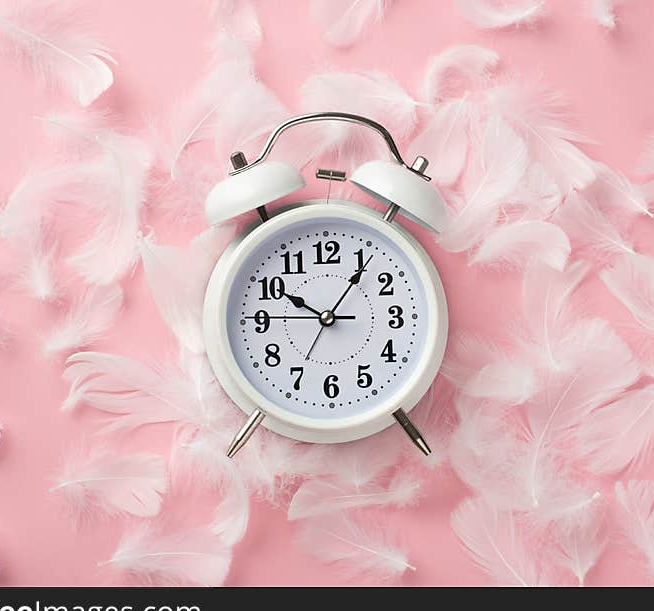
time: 10:05
